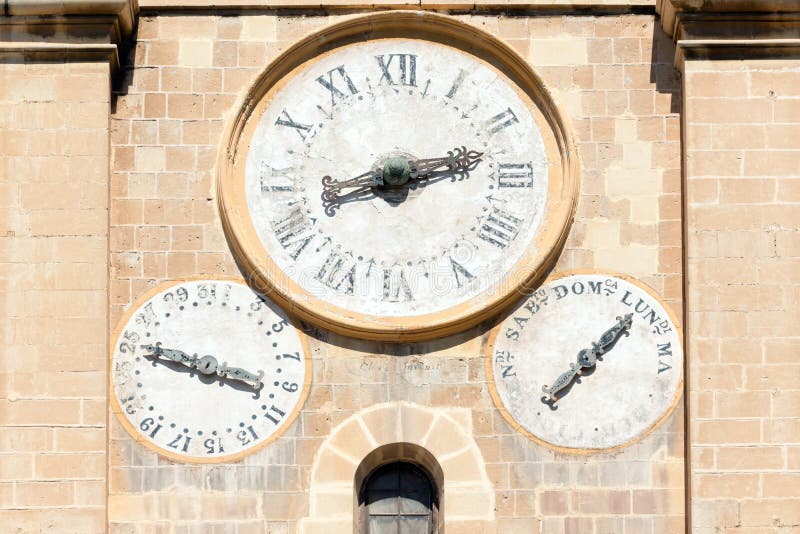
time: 8:12
